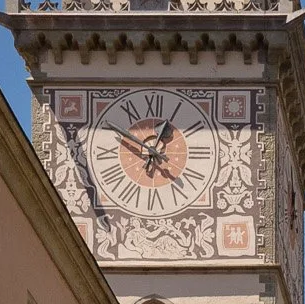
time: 12:50
